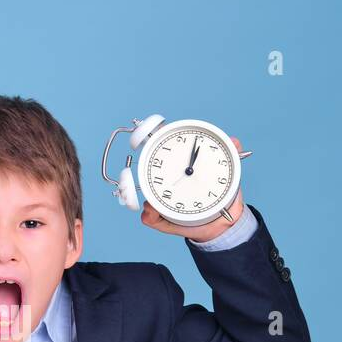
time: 1:02
